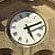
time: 5:11
